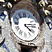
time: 4:13
